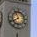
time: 7:55
